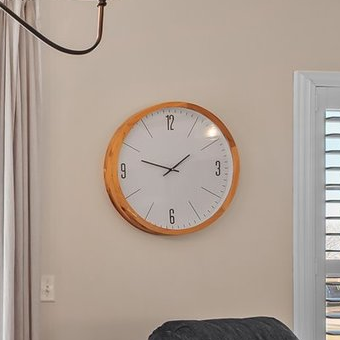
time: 1:47
